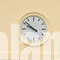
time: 9:51
